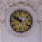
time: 9:50
